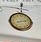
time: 8:12
